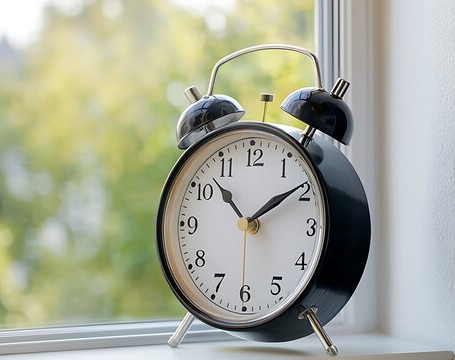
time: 1:52
